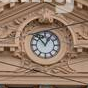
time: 12:53
